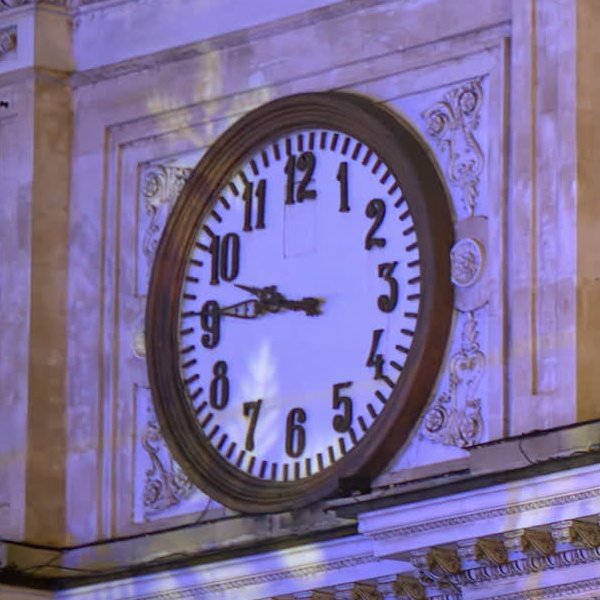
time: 9:45
